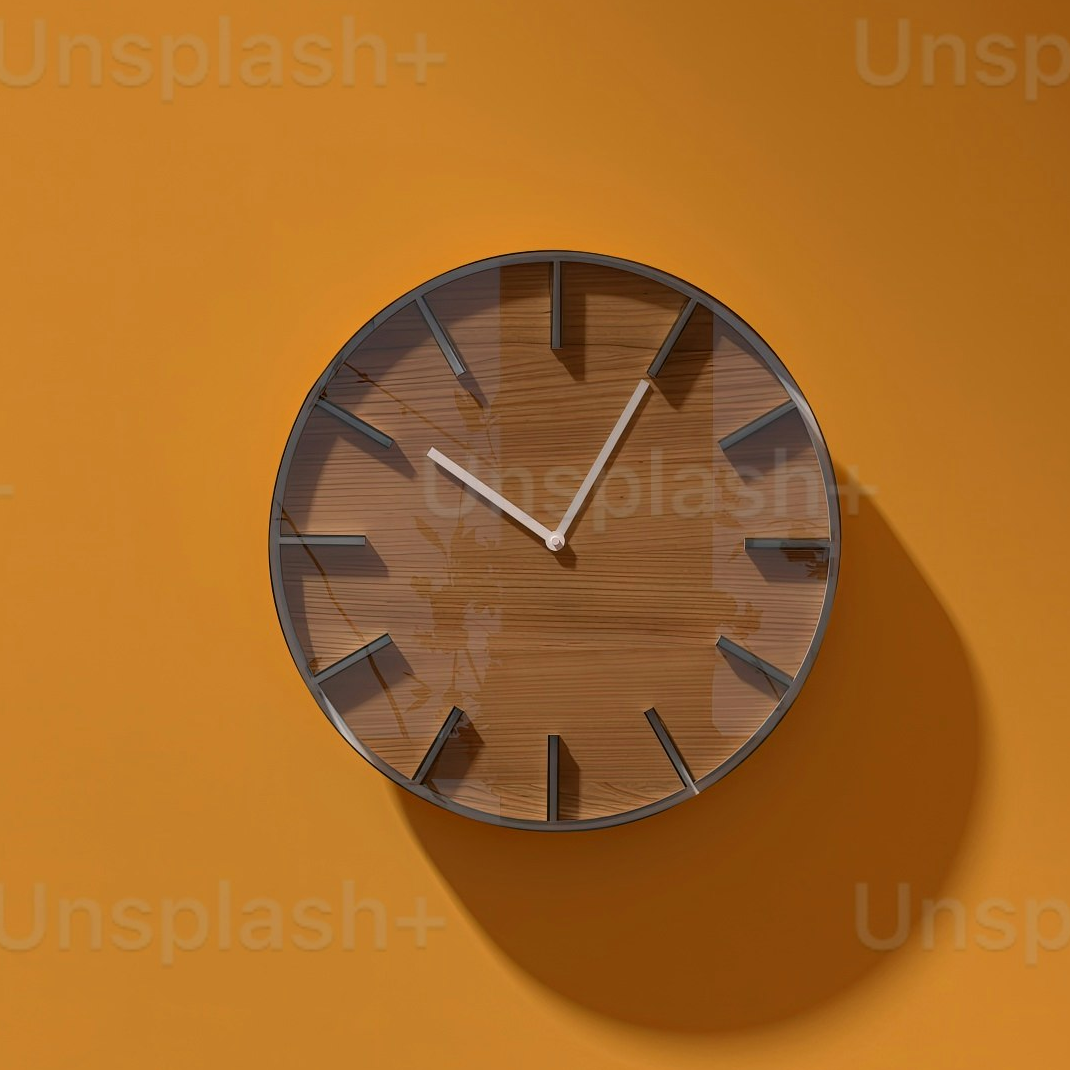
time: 10:04
